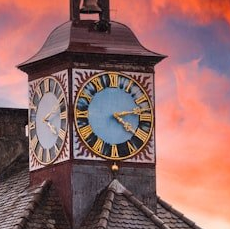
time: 4:12
